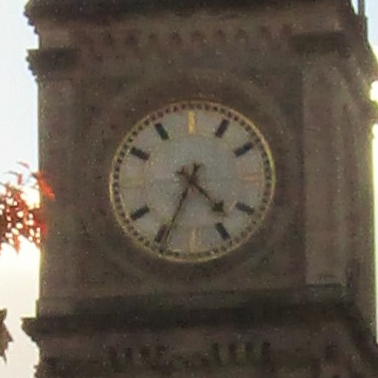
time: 4:34
